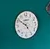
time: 4:50
